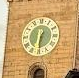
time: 6:30
